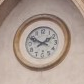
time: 1:49
